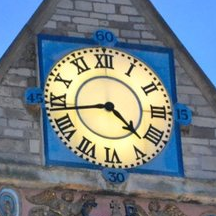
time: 4:43
